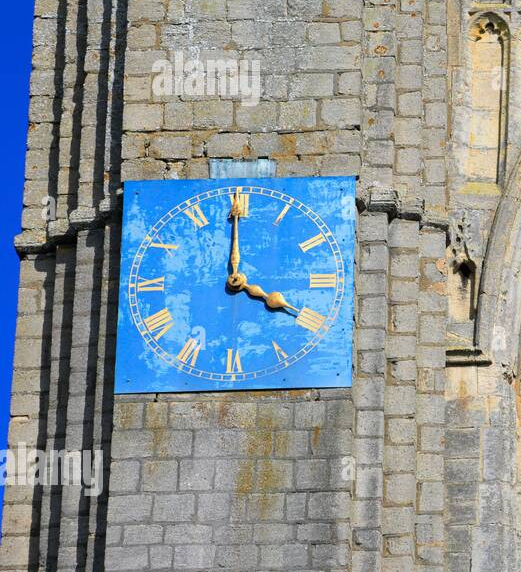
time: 3:59
